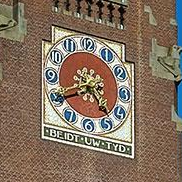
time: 4:40
